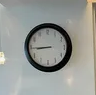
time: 8:44
